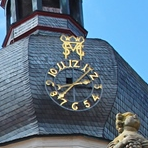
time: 2:36
